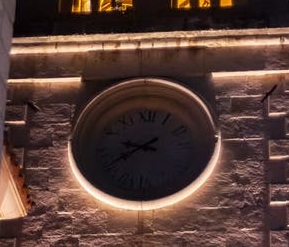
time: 9:39
